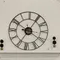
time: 10:05
